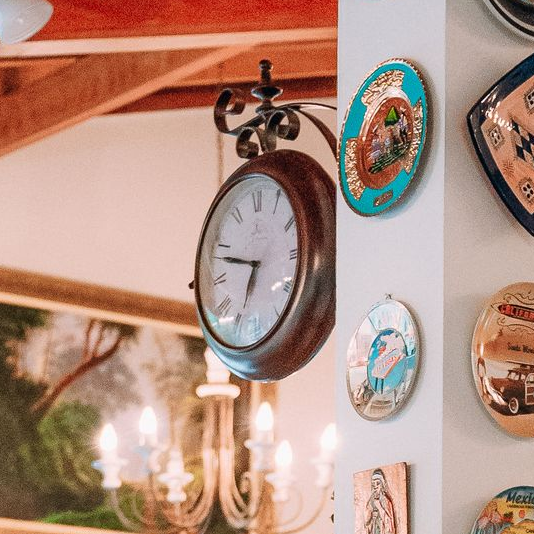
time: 6:47
